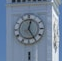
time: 12:24
